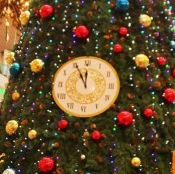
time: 11:55
